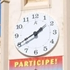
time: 1:40
